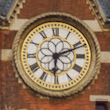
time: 6:11
